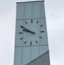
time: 9:50
